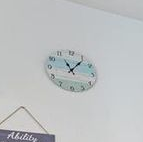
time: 11:06
